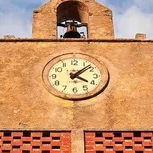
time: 4:07
